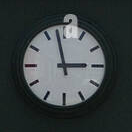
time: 2:57
